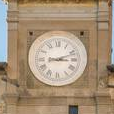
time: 3:11
